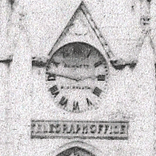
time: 2:46
